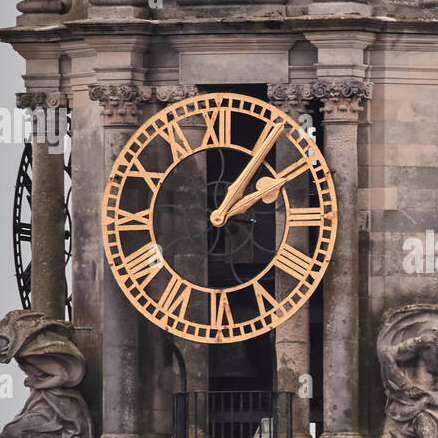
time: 2:06
